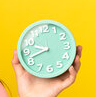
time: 9:42
